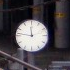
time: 11:46
